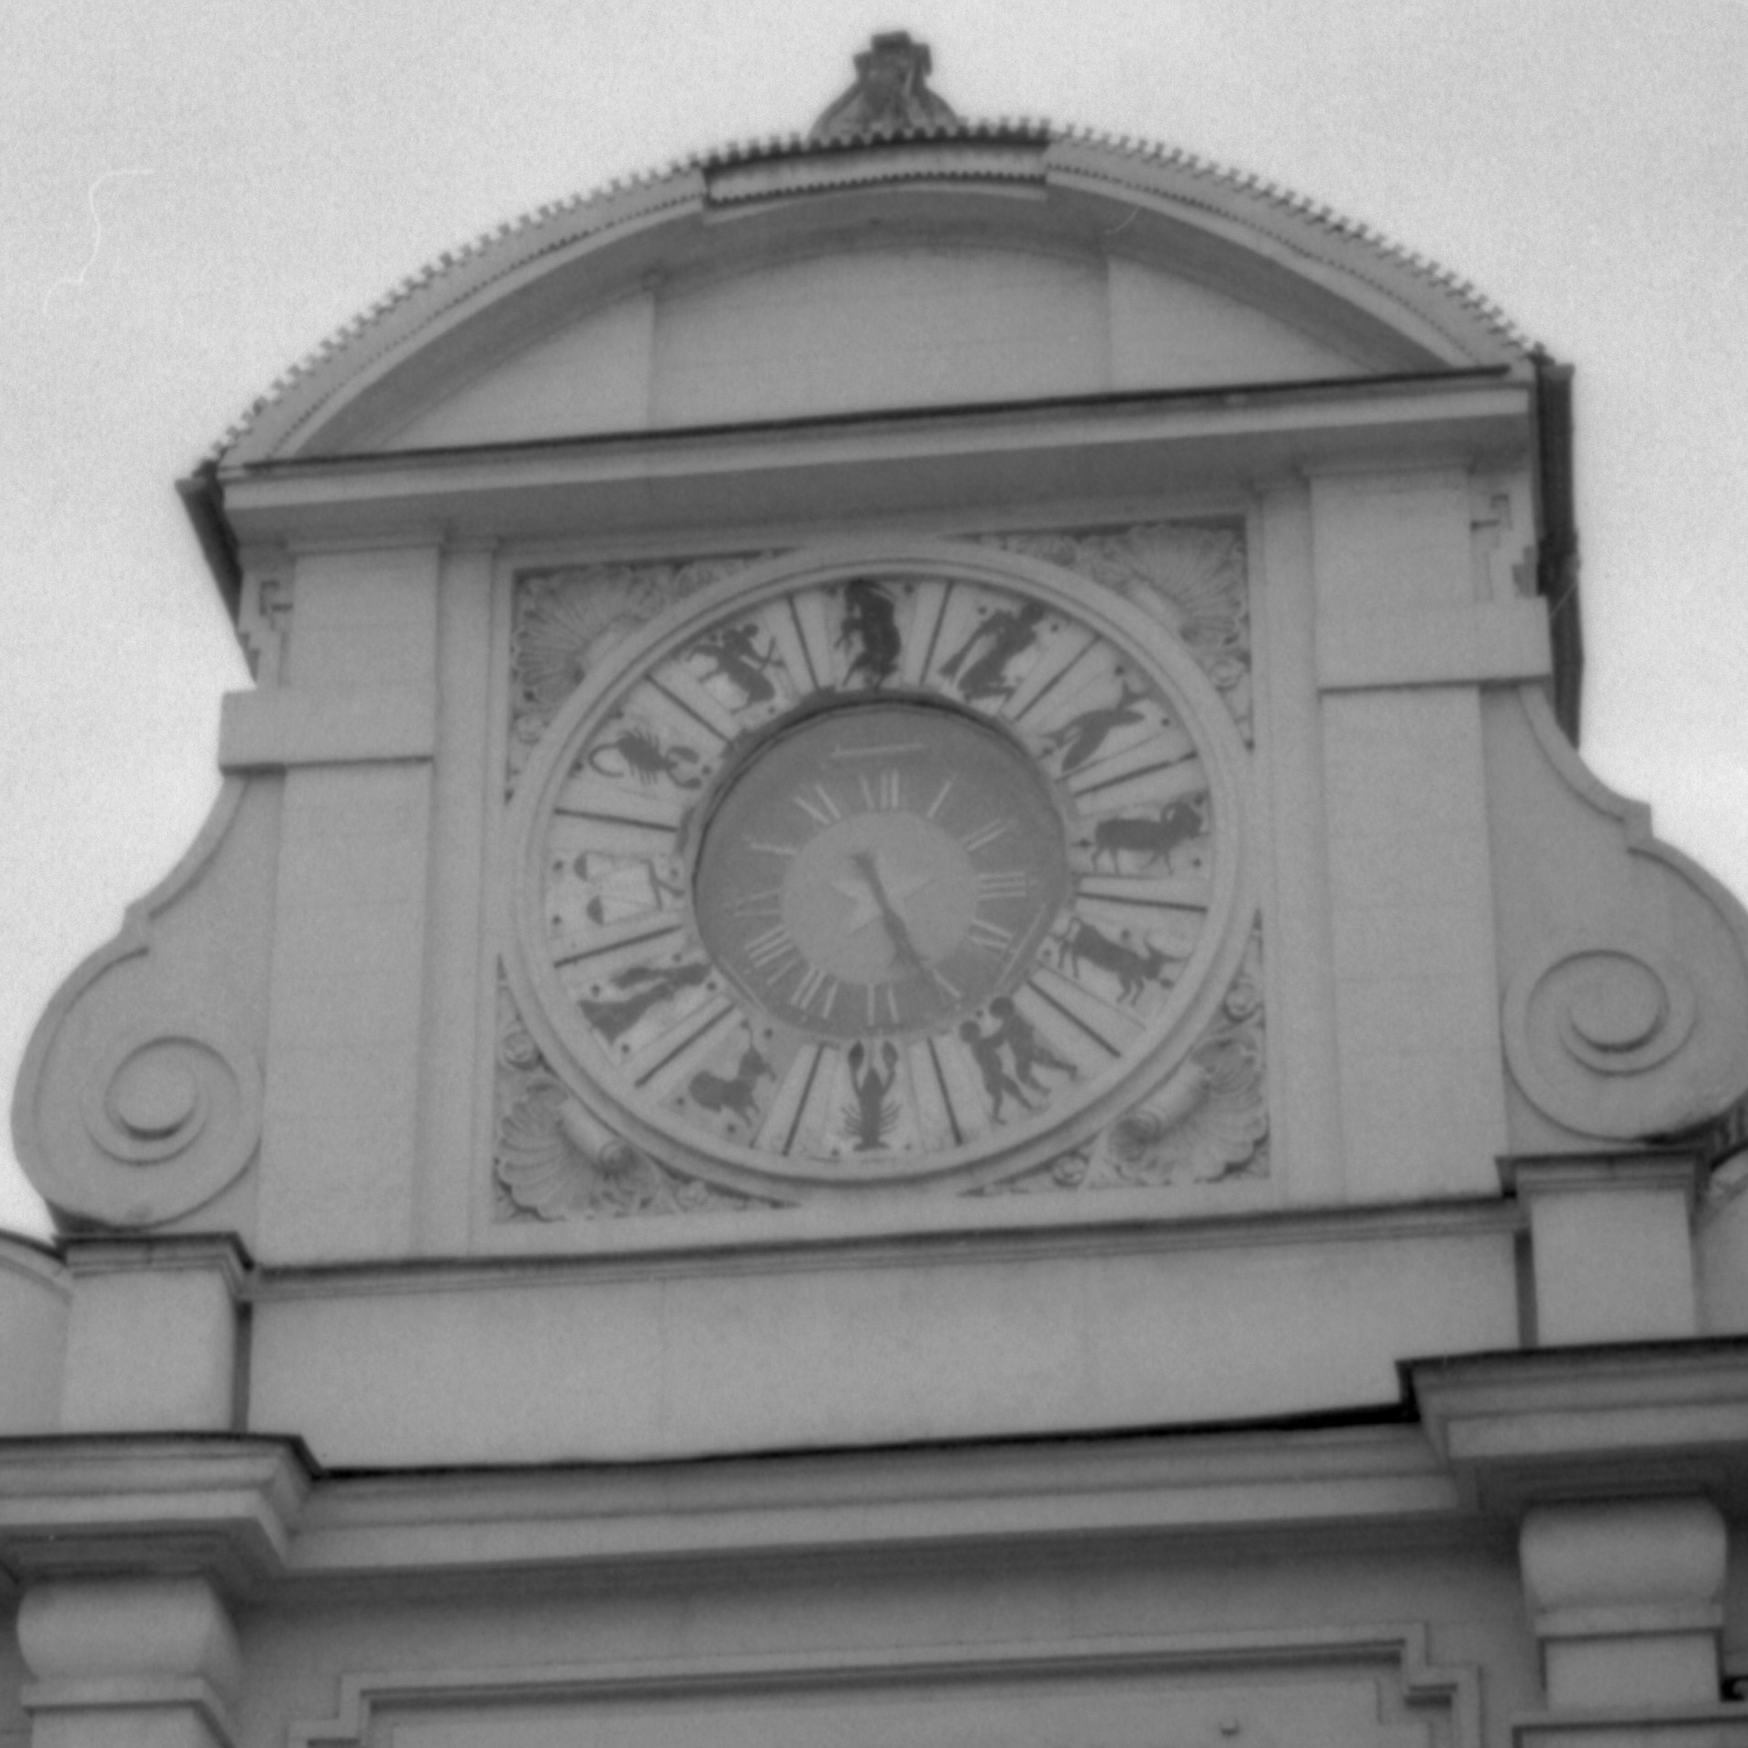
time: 5:26
